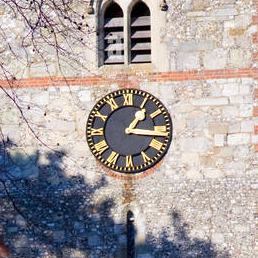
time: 1:16
